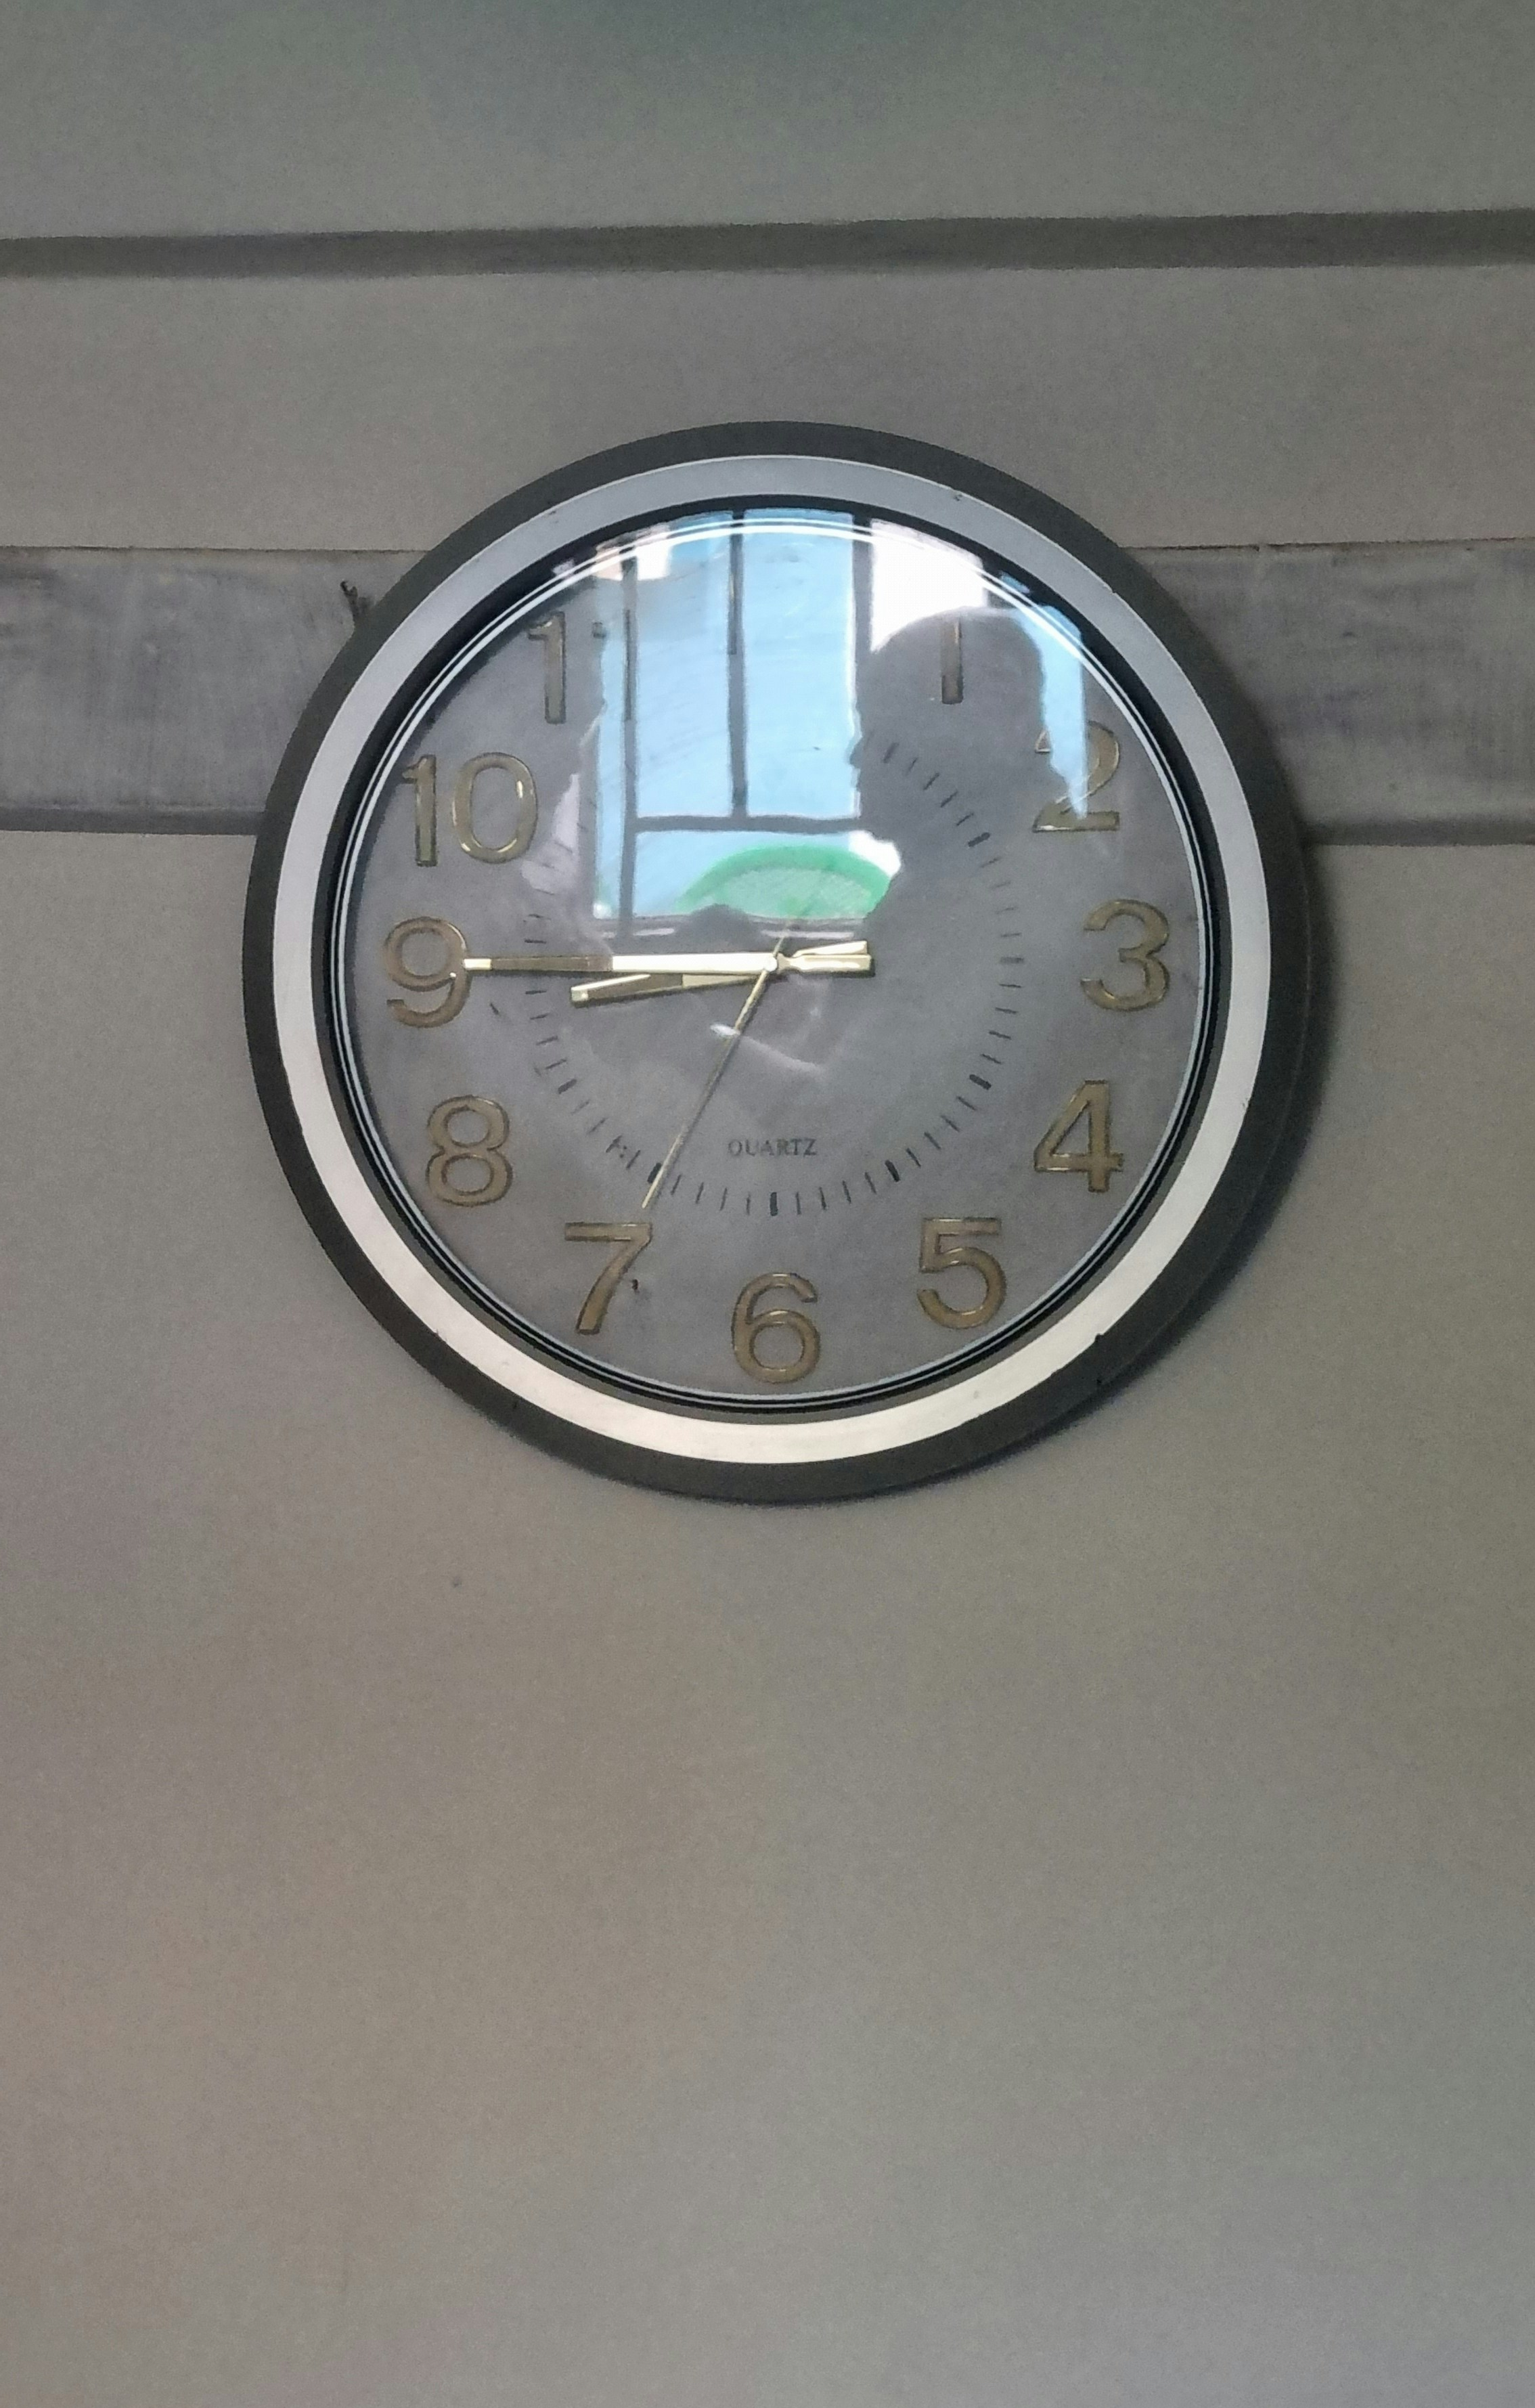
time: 8:45
